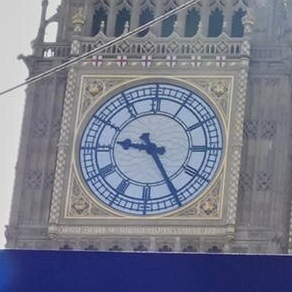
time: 9:25
